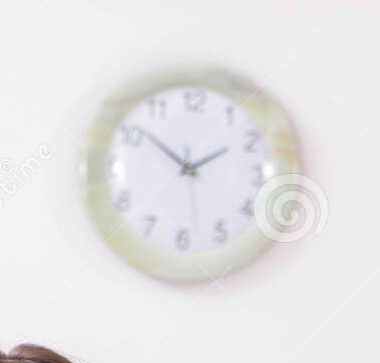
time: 1:51
